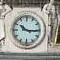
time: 10:15
